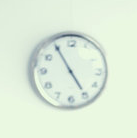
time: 4:54
